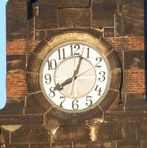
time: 8:03
